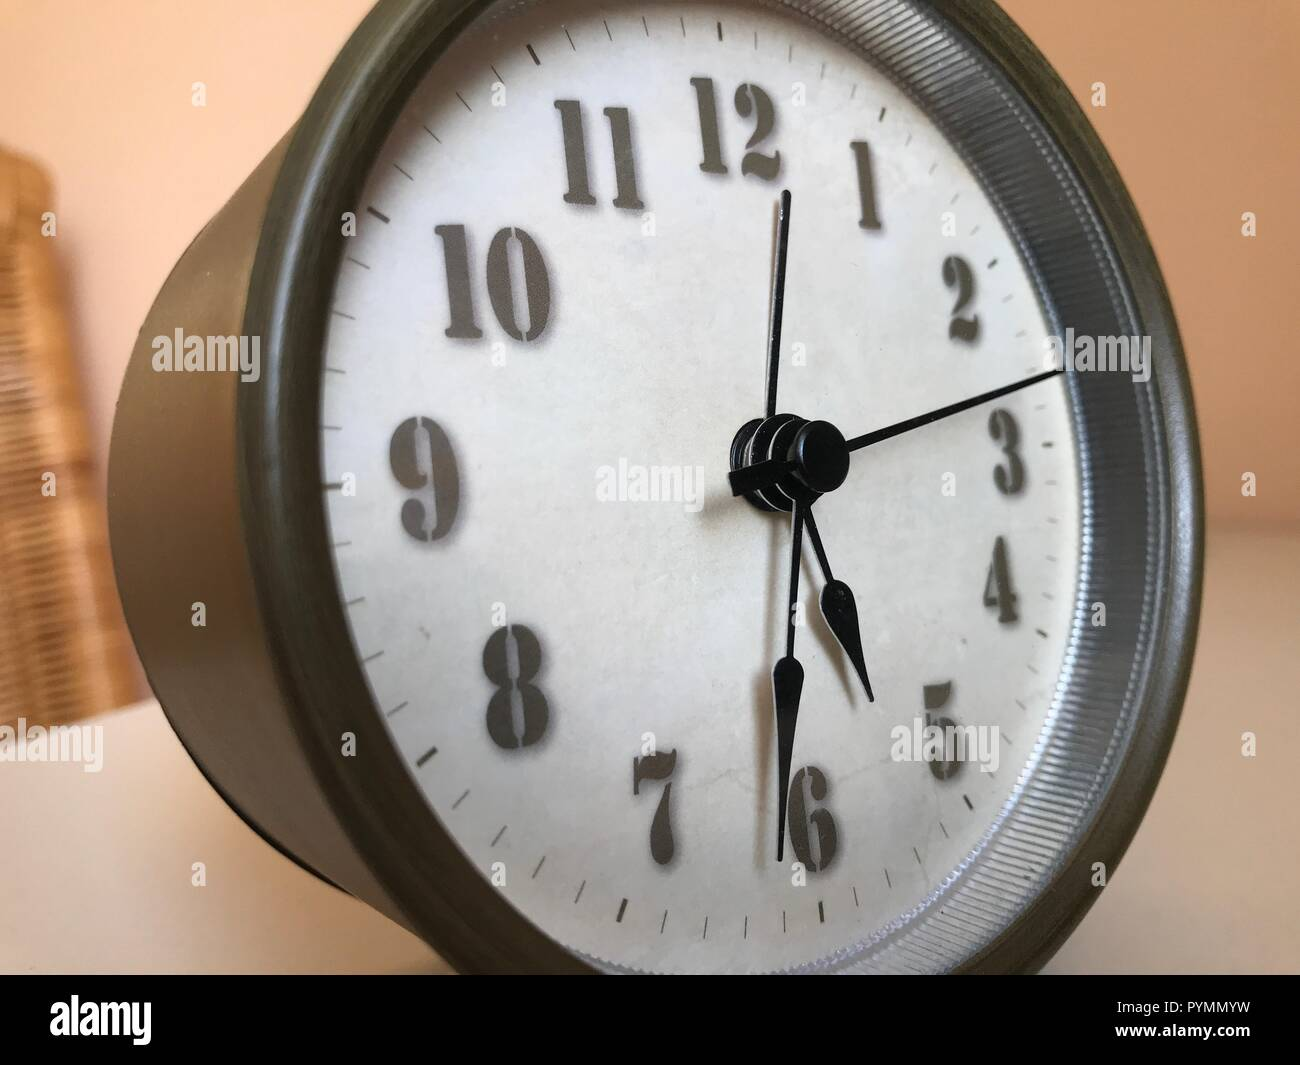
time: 5:31
